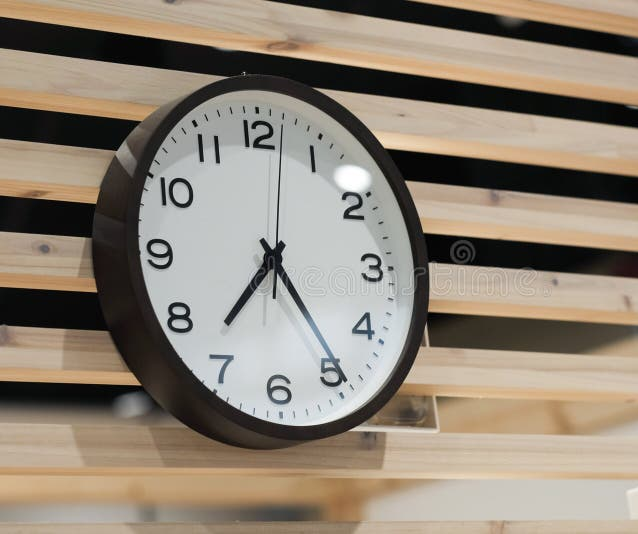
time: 7:24
